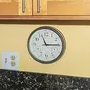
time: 11:14
